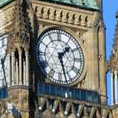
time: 1:27
